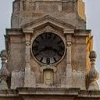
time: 8:17
